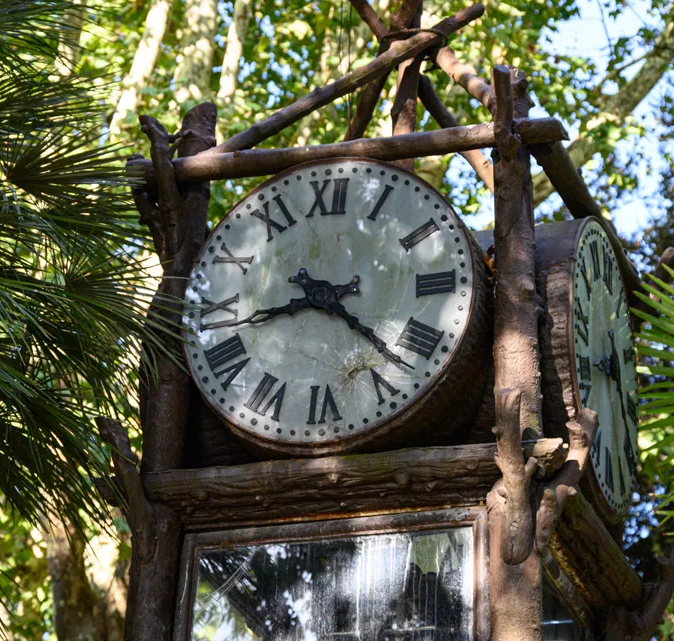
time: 8:22
